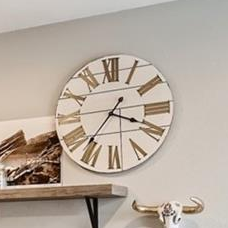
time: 3:36
